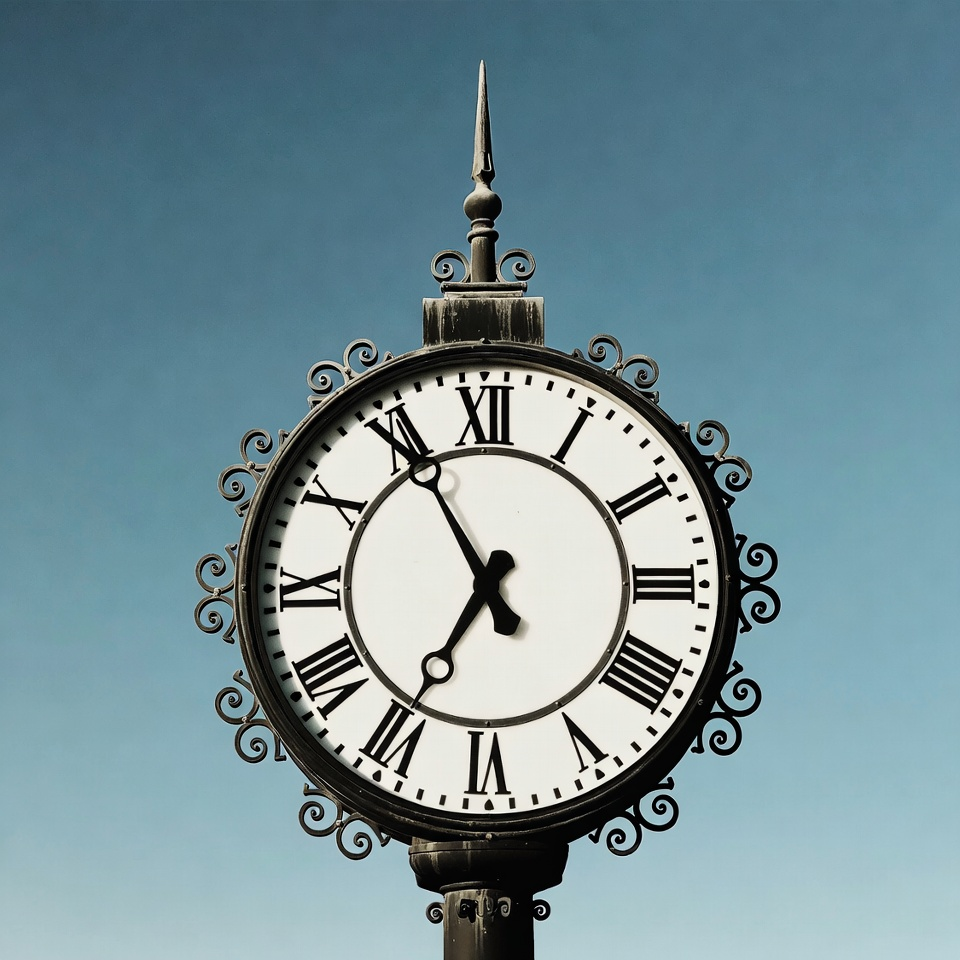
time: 6:55
